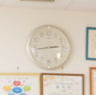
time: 2:43
